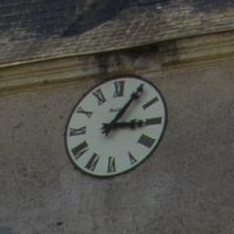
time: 3:05
